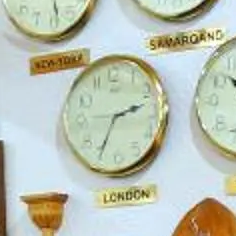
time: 2:34
